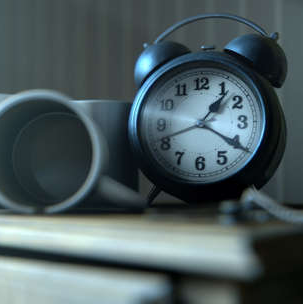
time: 1:20
